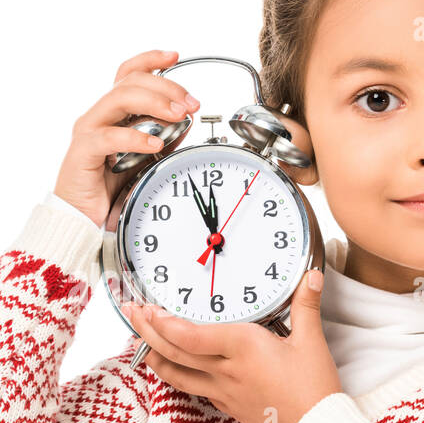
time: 11:56
